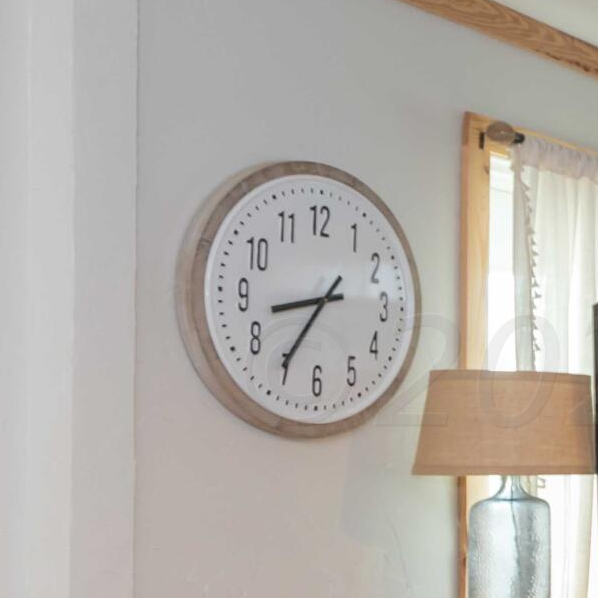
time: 8:35
